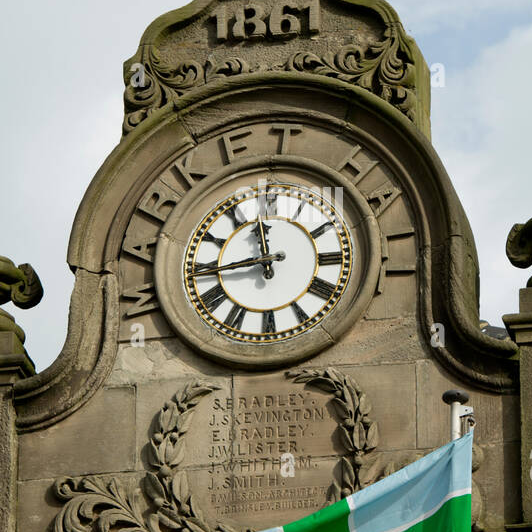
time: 11:43
